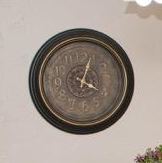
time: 4:03
